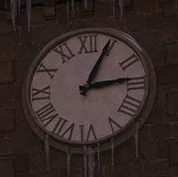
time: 3:04
